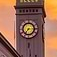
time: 7:15
